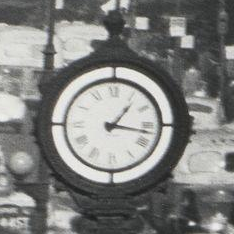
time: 1:16
